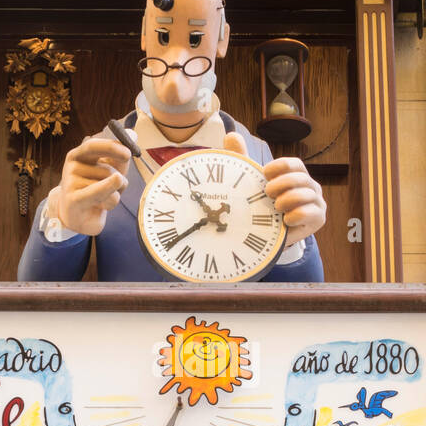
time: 10:38
